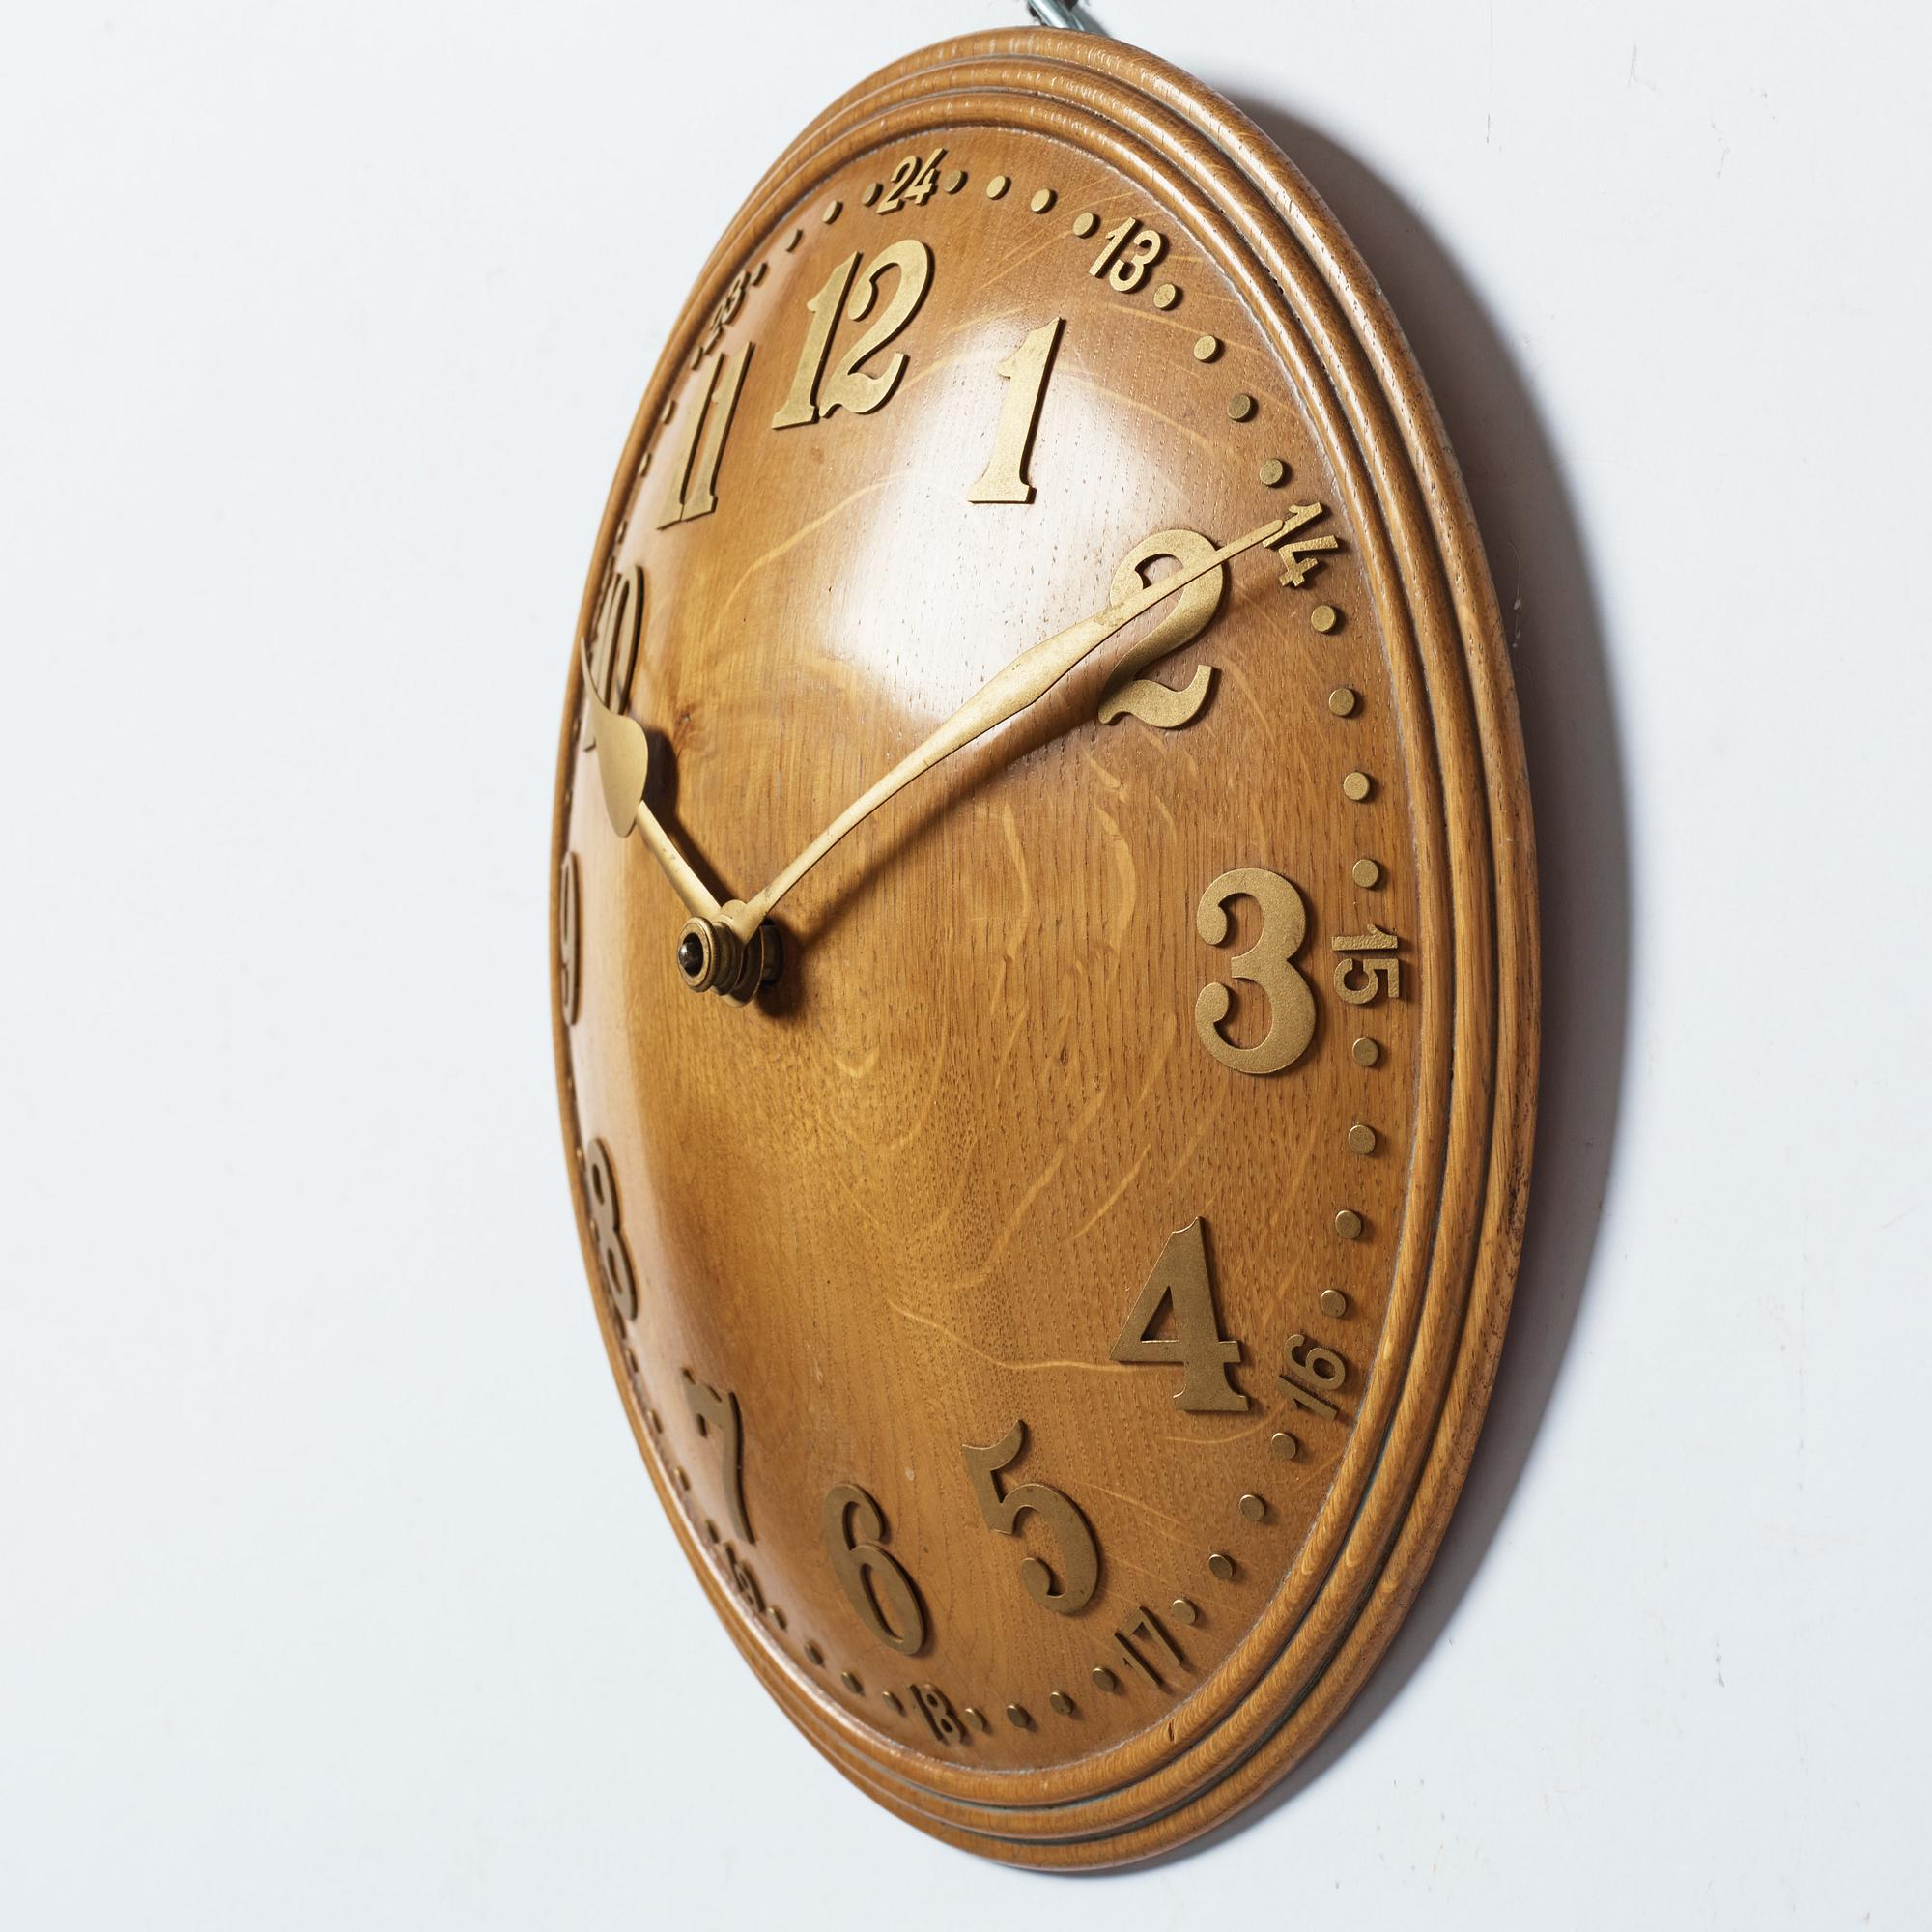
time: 9:10
